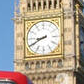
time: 8:40
